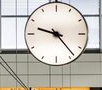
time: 9:23
